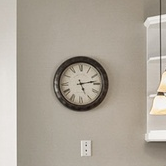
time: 5:13
